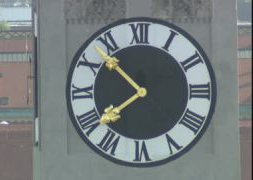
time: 10:38
